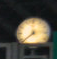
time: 2:38
